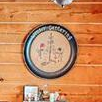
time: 5:59
